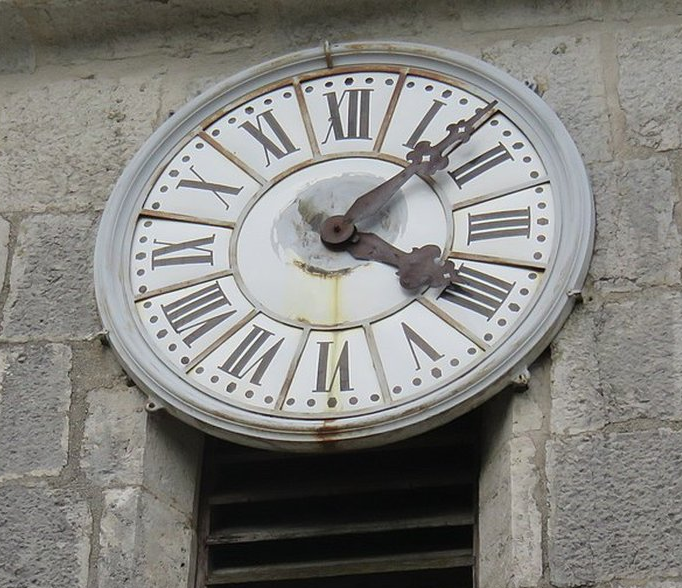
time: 4:07
